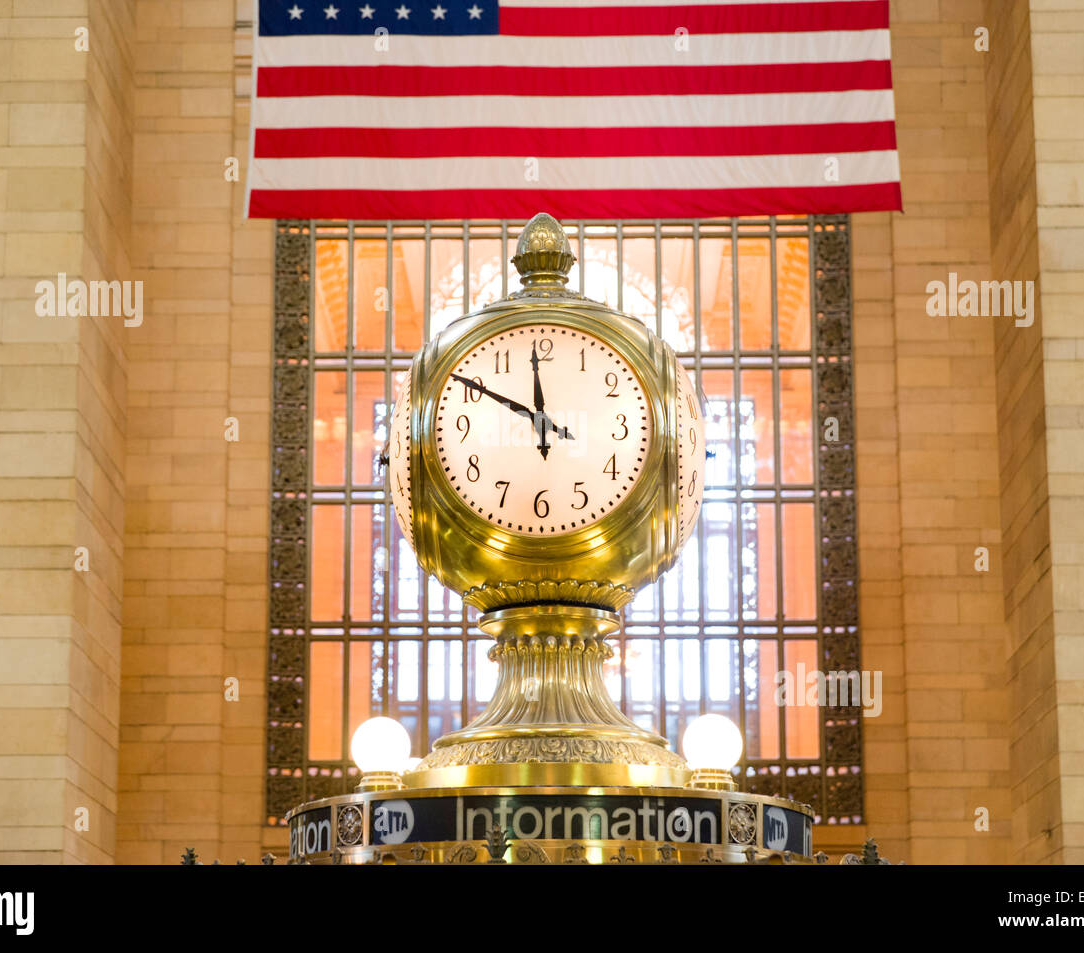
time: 11:49
